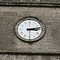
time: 3:12
